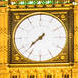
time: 7:37
